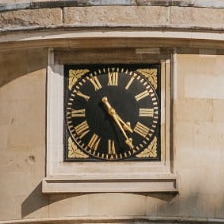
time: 4:24
